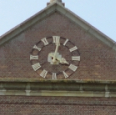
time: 4:01
